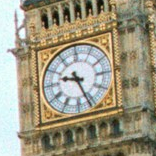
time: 9:26
